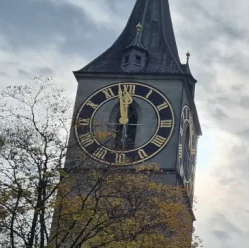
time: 11:58
